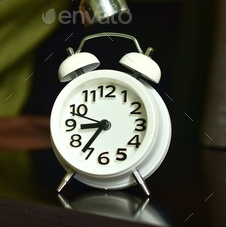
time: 8:36
